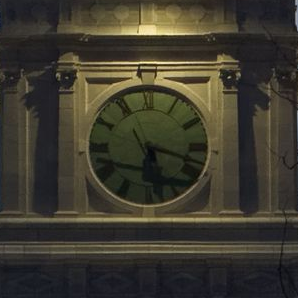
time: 5:18
